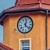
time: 12:22
